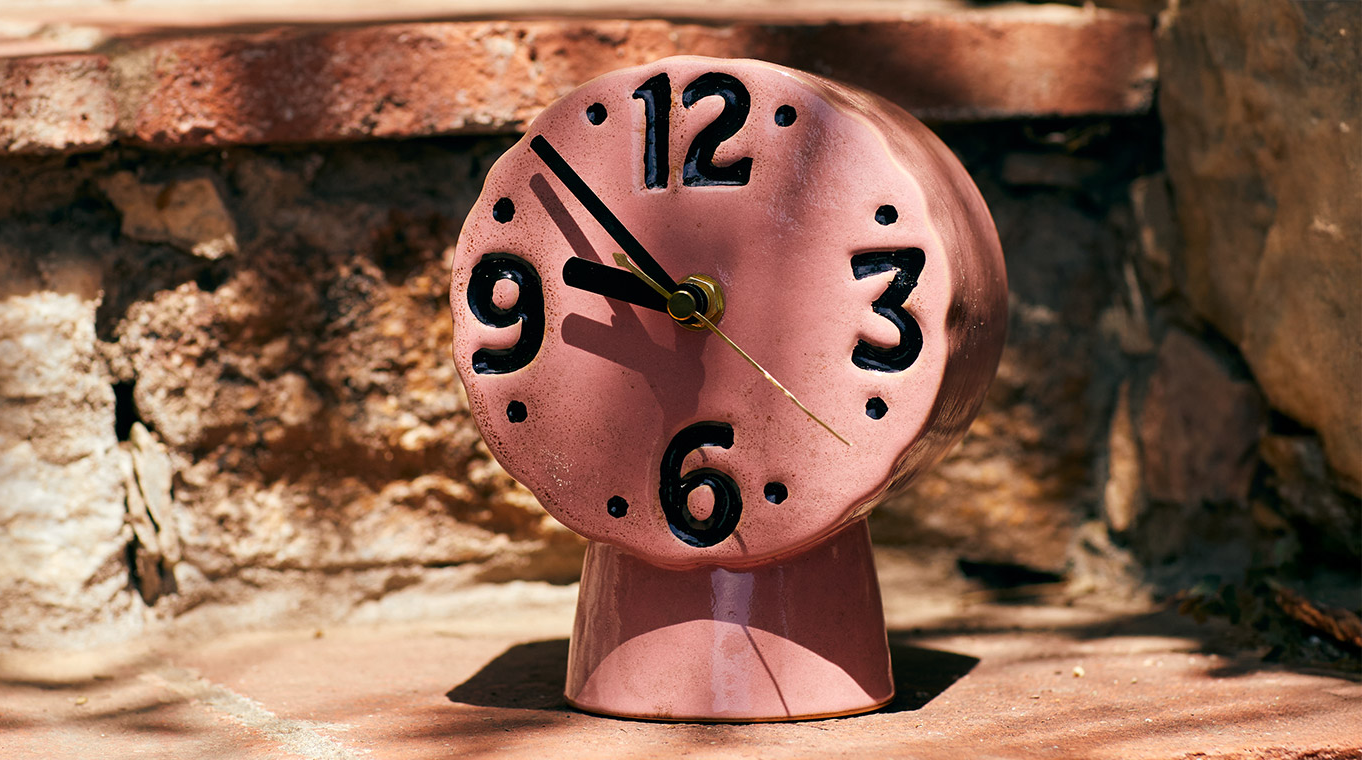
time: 9:53
